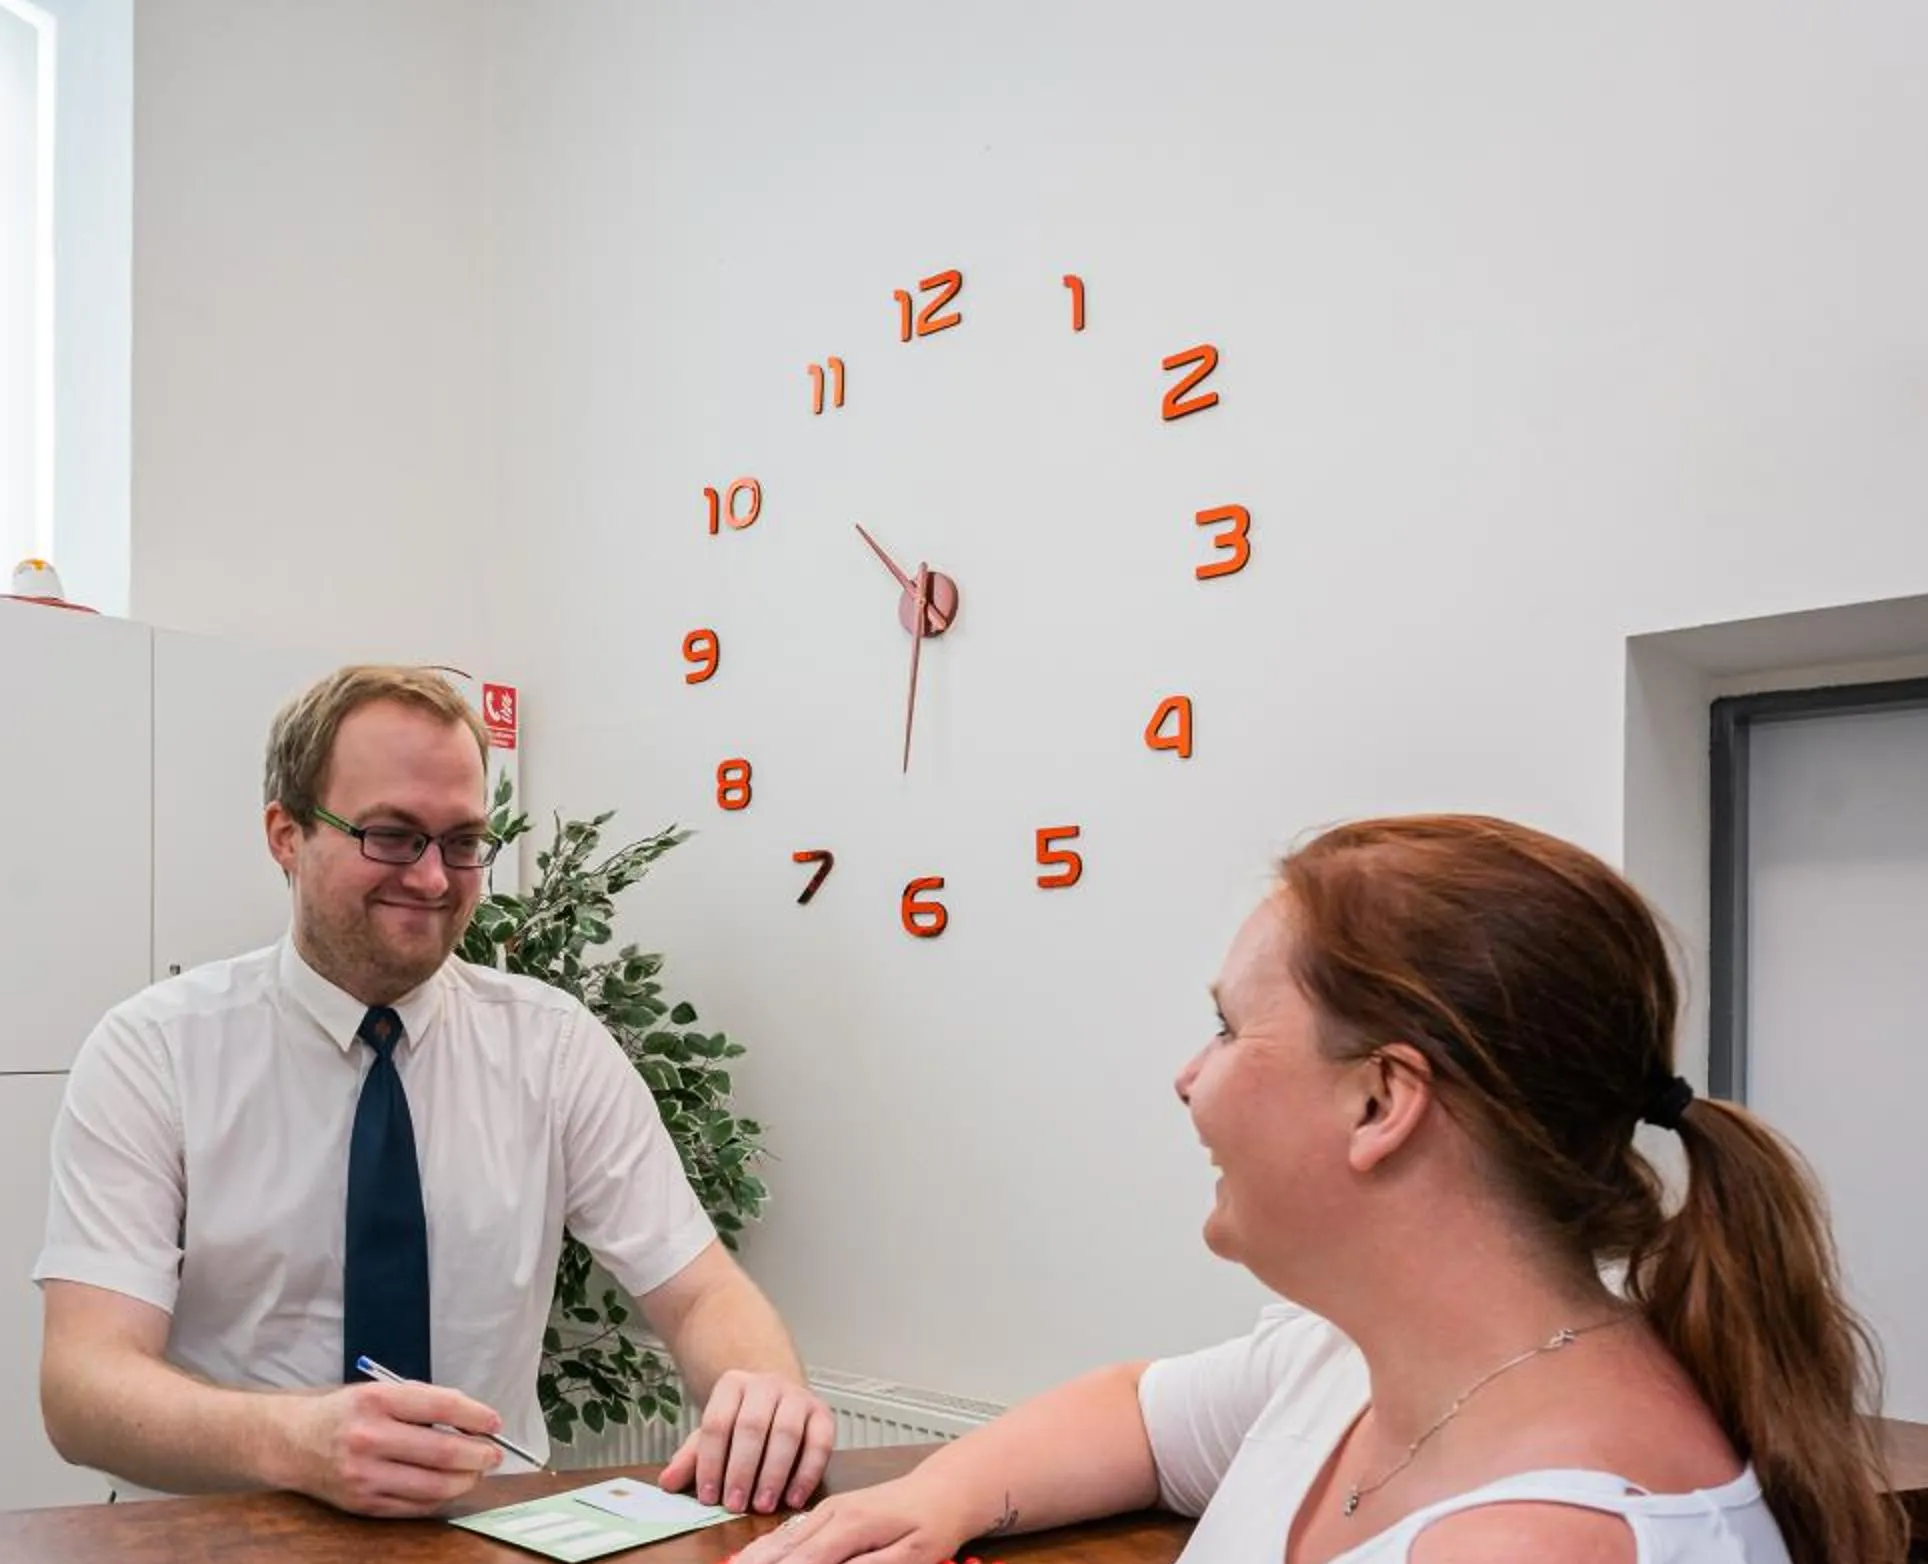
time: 10:31
